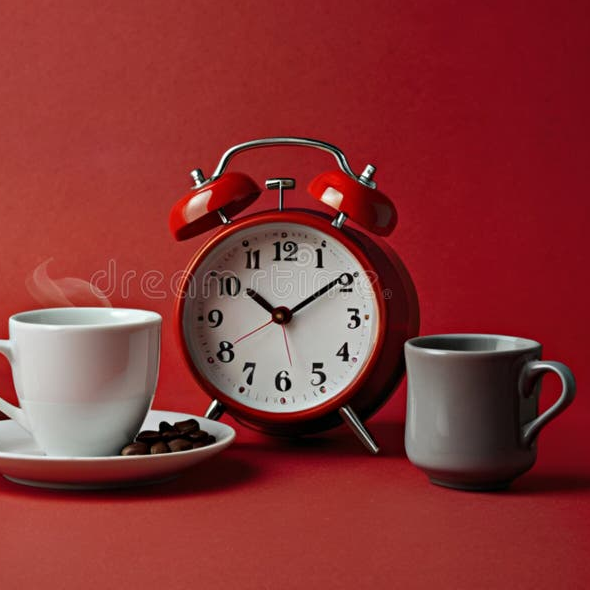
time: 10:09
